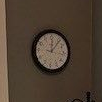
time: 12:06
